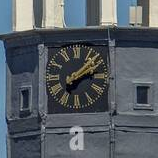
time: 2:07
